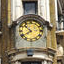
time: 7:52
